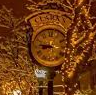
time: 8:46
